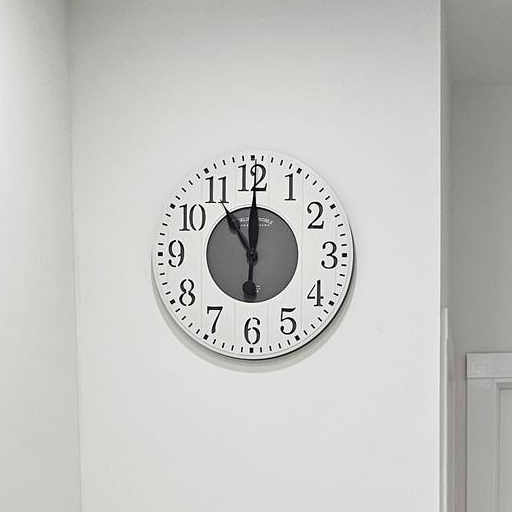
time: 11:00
